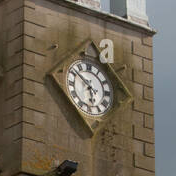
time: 5:51
